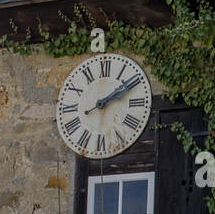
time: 2:09
